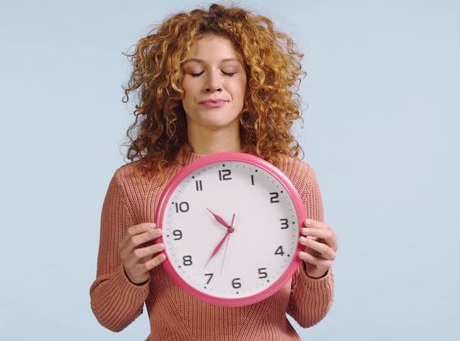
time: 10:36
